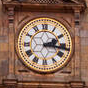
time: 2:16
